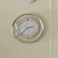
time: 2:37
